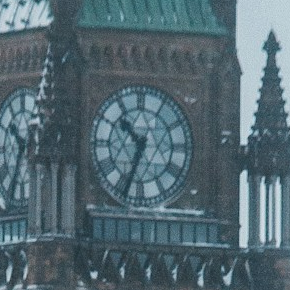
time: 10:34
